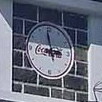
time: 2:58
